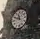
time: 11:48
